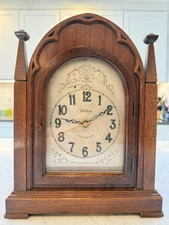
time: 9:10
